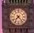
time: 7:23
